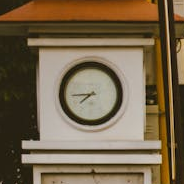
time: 7:44
